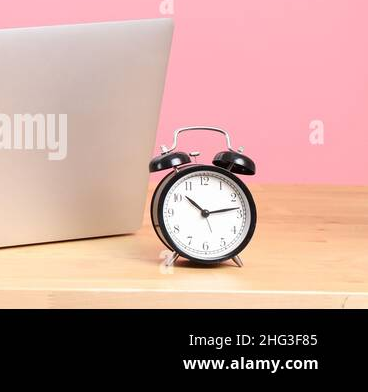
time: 10:13
